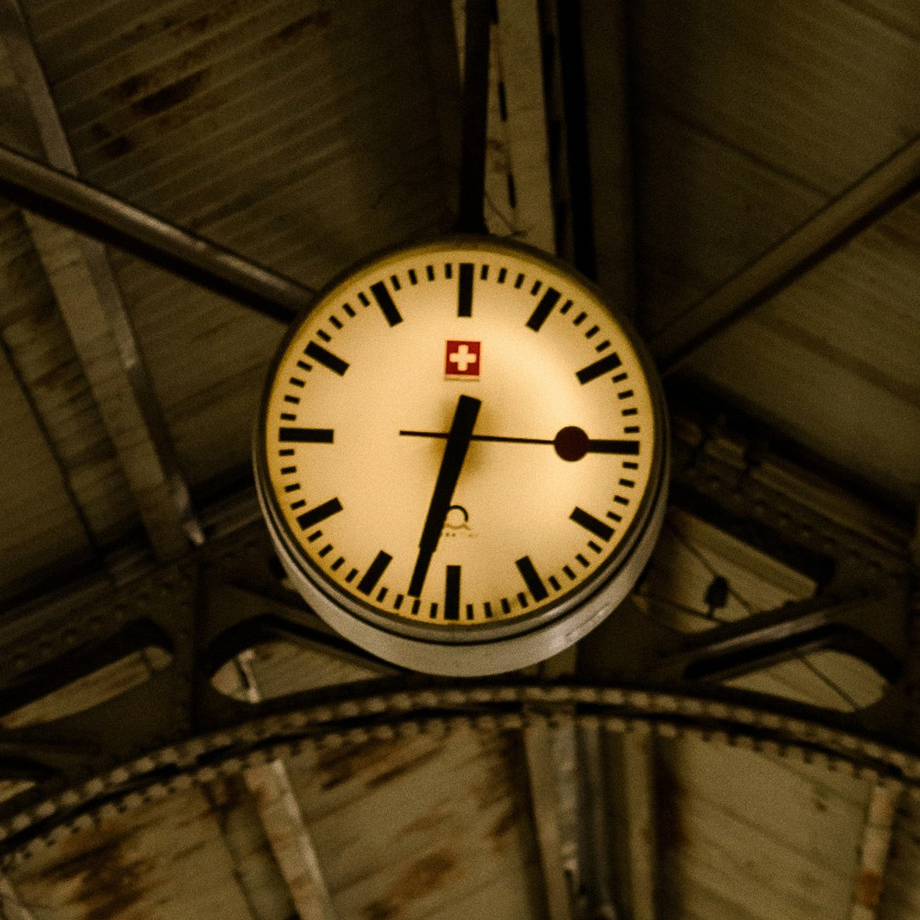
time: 6:32
